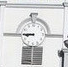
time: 8:45
